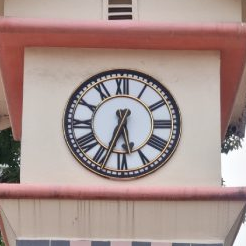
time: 5:33
